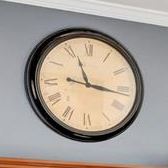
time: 11:16
